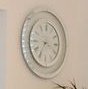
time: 3:35
